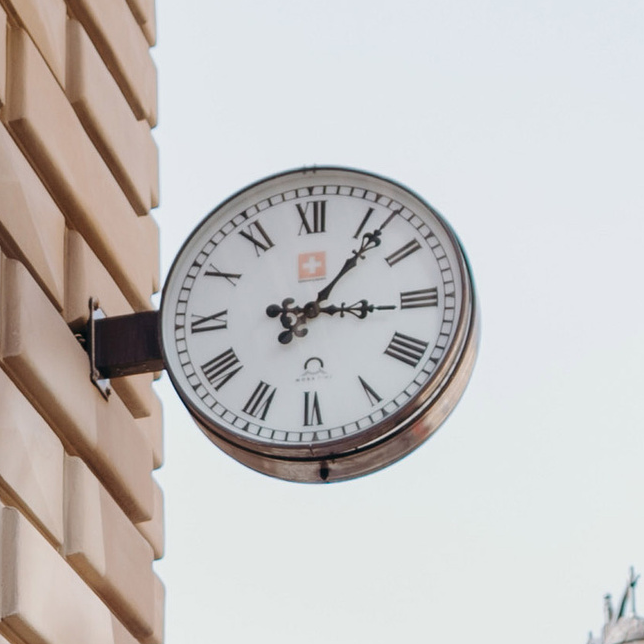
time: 3:06
